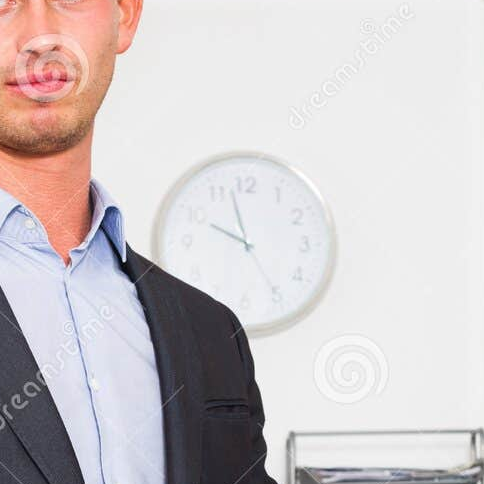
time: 9:57
